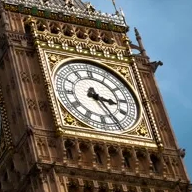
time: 3:25
